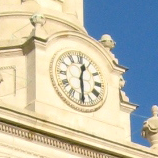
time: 12:29
